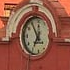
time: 6:54
